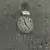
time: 11:23
